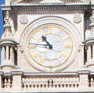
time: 10:45
